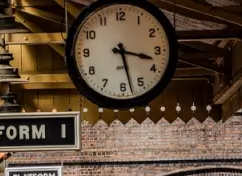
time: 3:27
